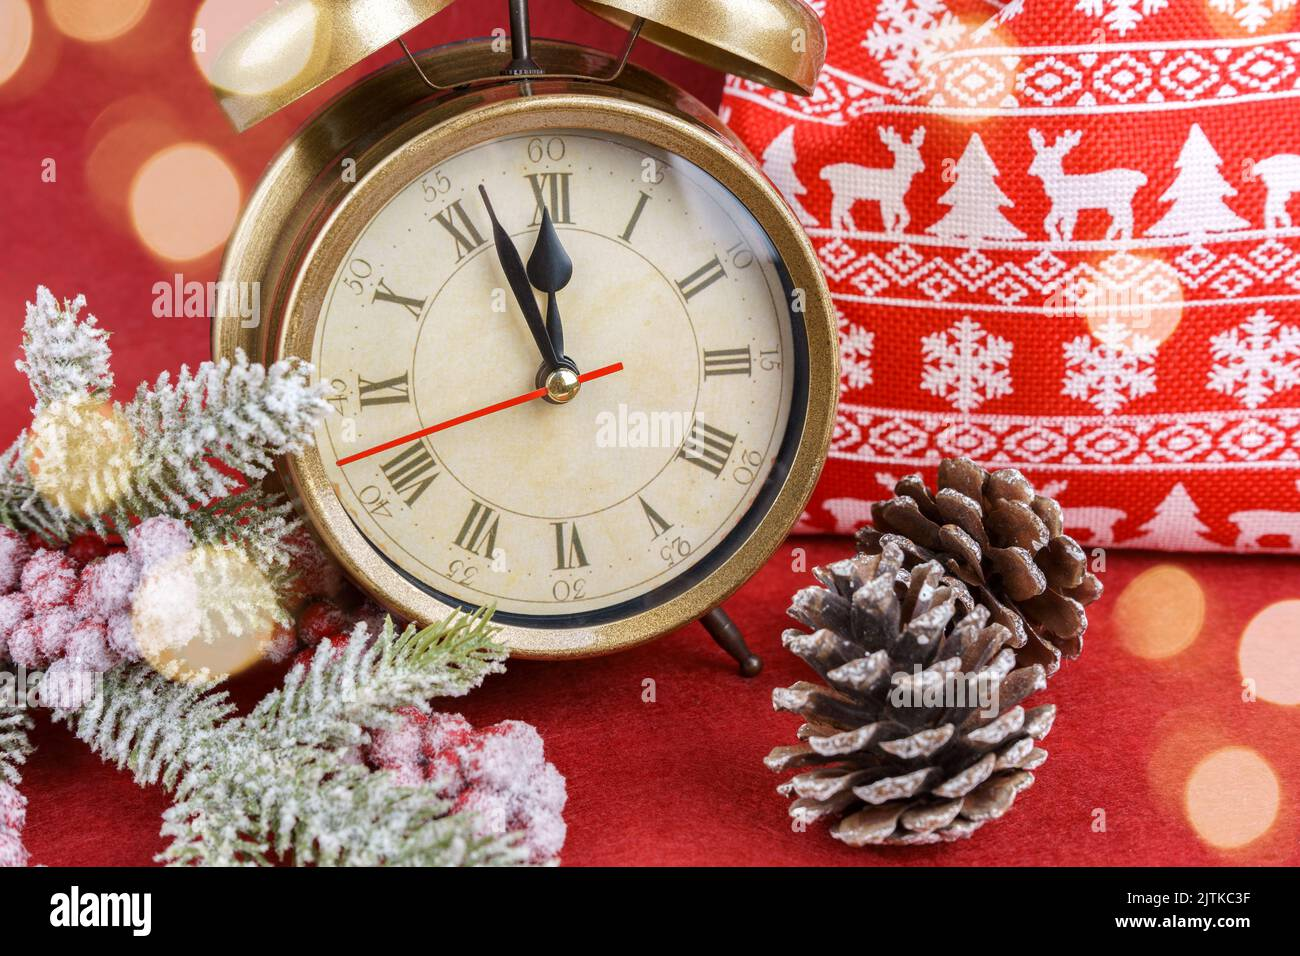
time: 11:56
